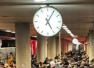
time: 5:05
